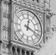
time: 12:18
